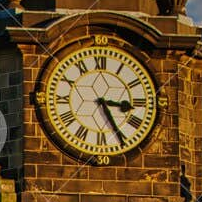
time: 3:25
